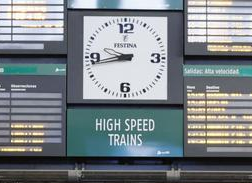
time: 9:43
